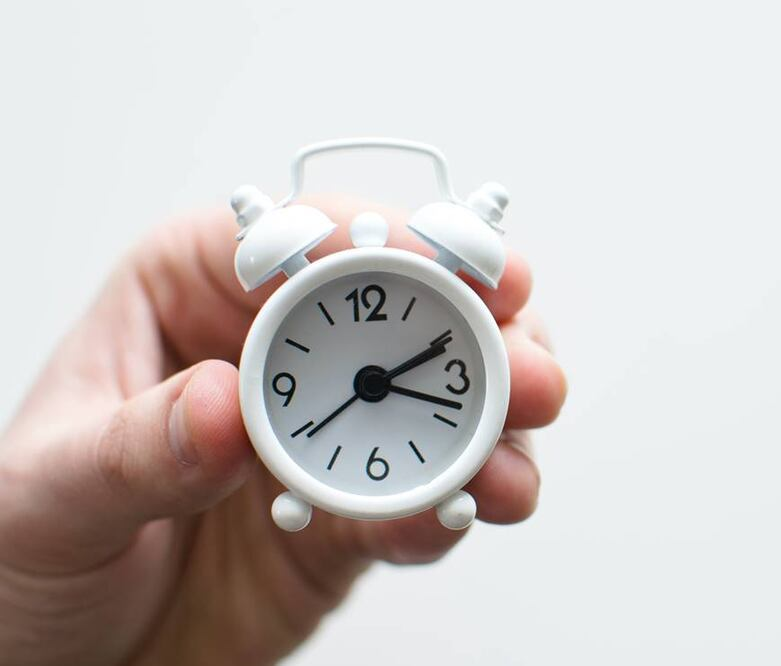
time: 2:18
